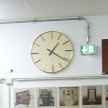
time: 1:20
